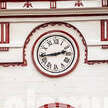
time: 2:43
